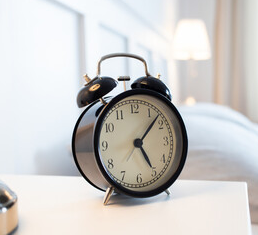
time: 5:07
